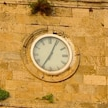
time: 7:04
